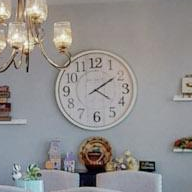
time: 4:09
